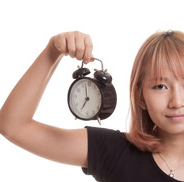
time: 6:58
